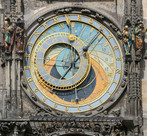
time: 7:07
